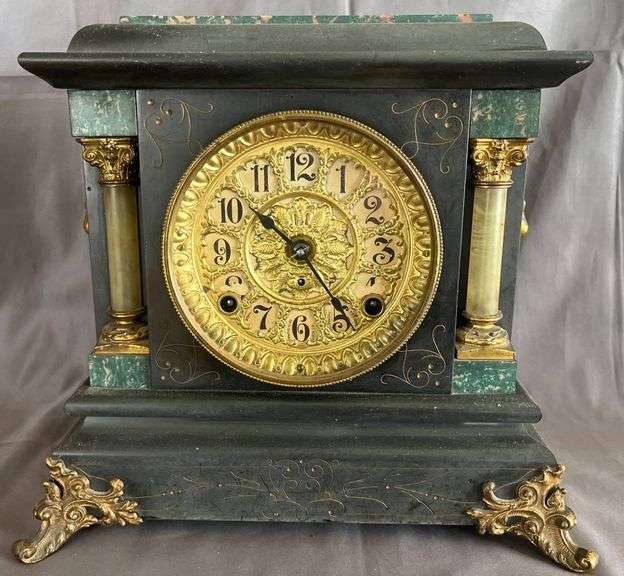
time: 10:23
